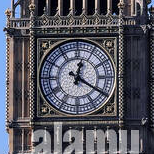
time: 12:20
